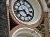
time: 4:42
